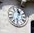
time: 12:32
